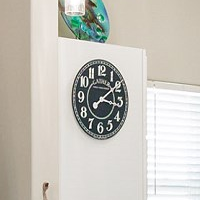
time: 3:09
